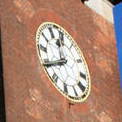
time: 11:39
